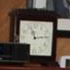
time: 11:13
